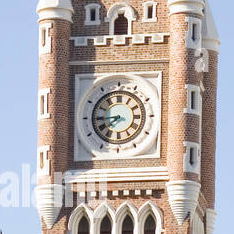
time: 7:44
